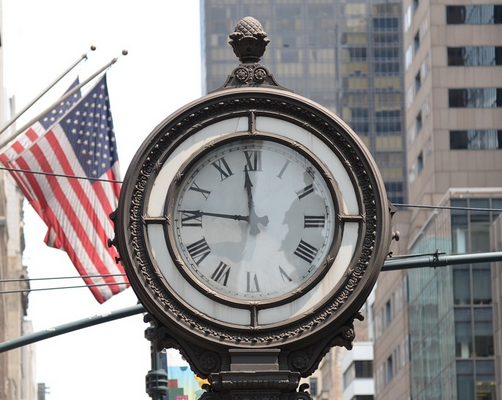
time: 11:46
